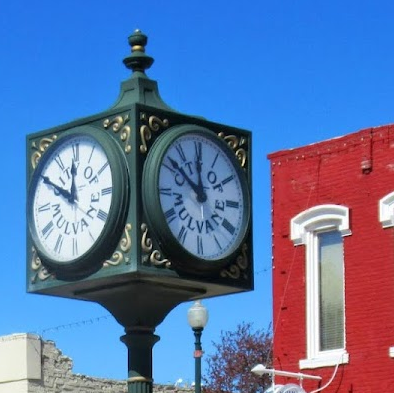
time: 11:51
